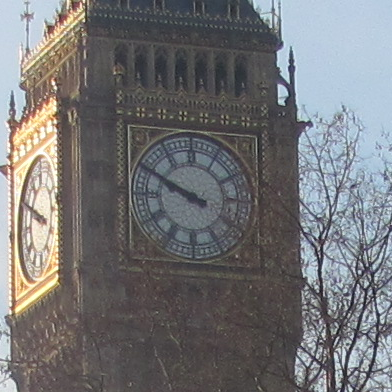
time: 9:49
